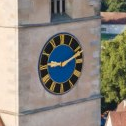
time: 9:11
